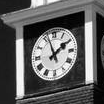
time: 1:56
